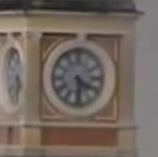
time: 4:29
